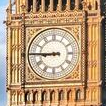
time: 8:45
